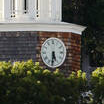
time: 5:31
